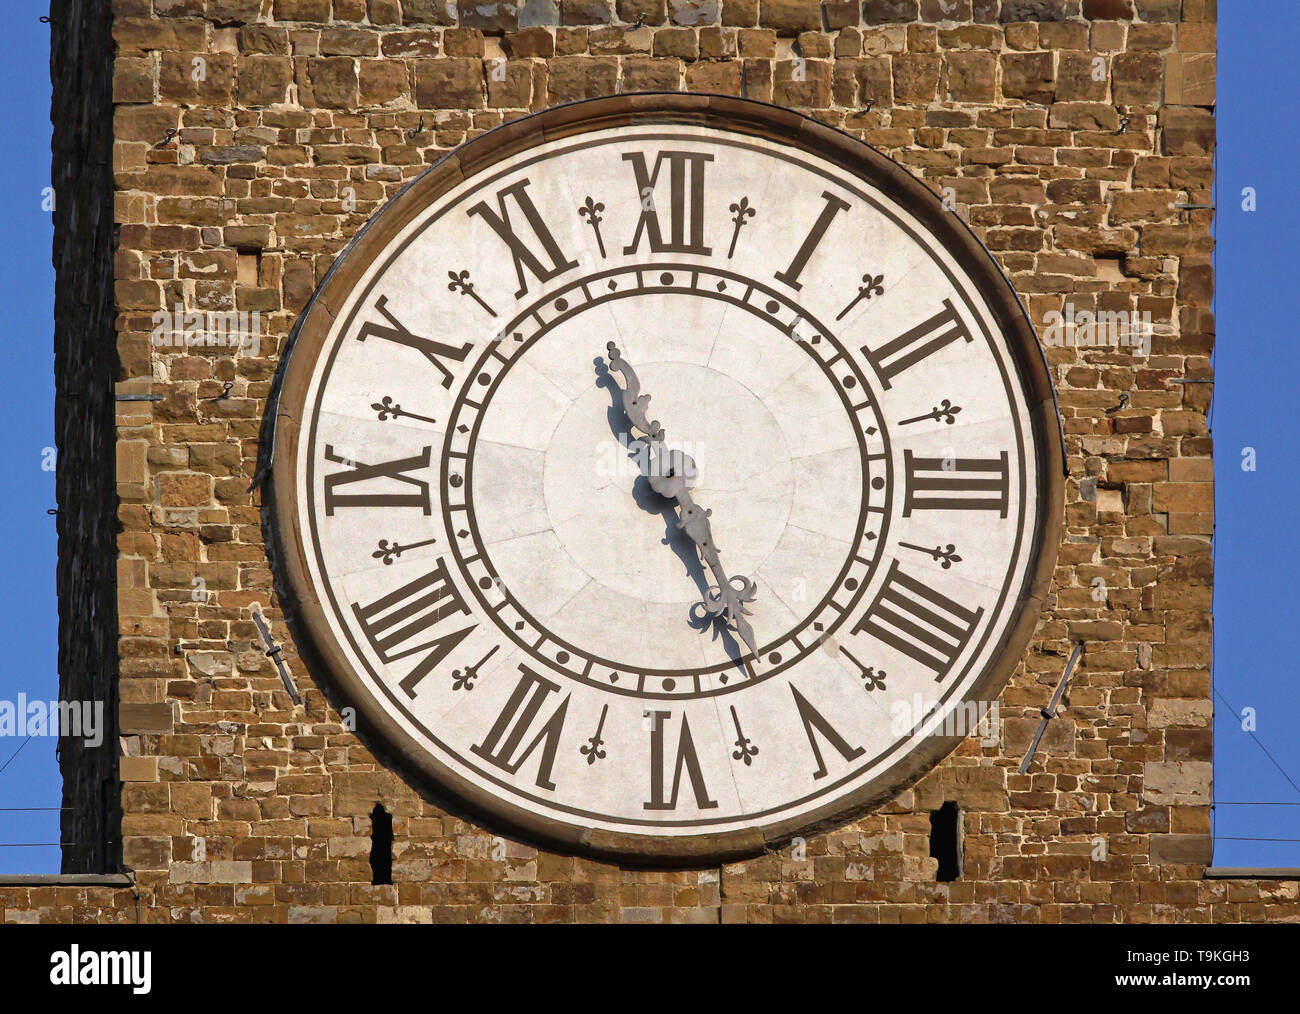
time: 11:25
